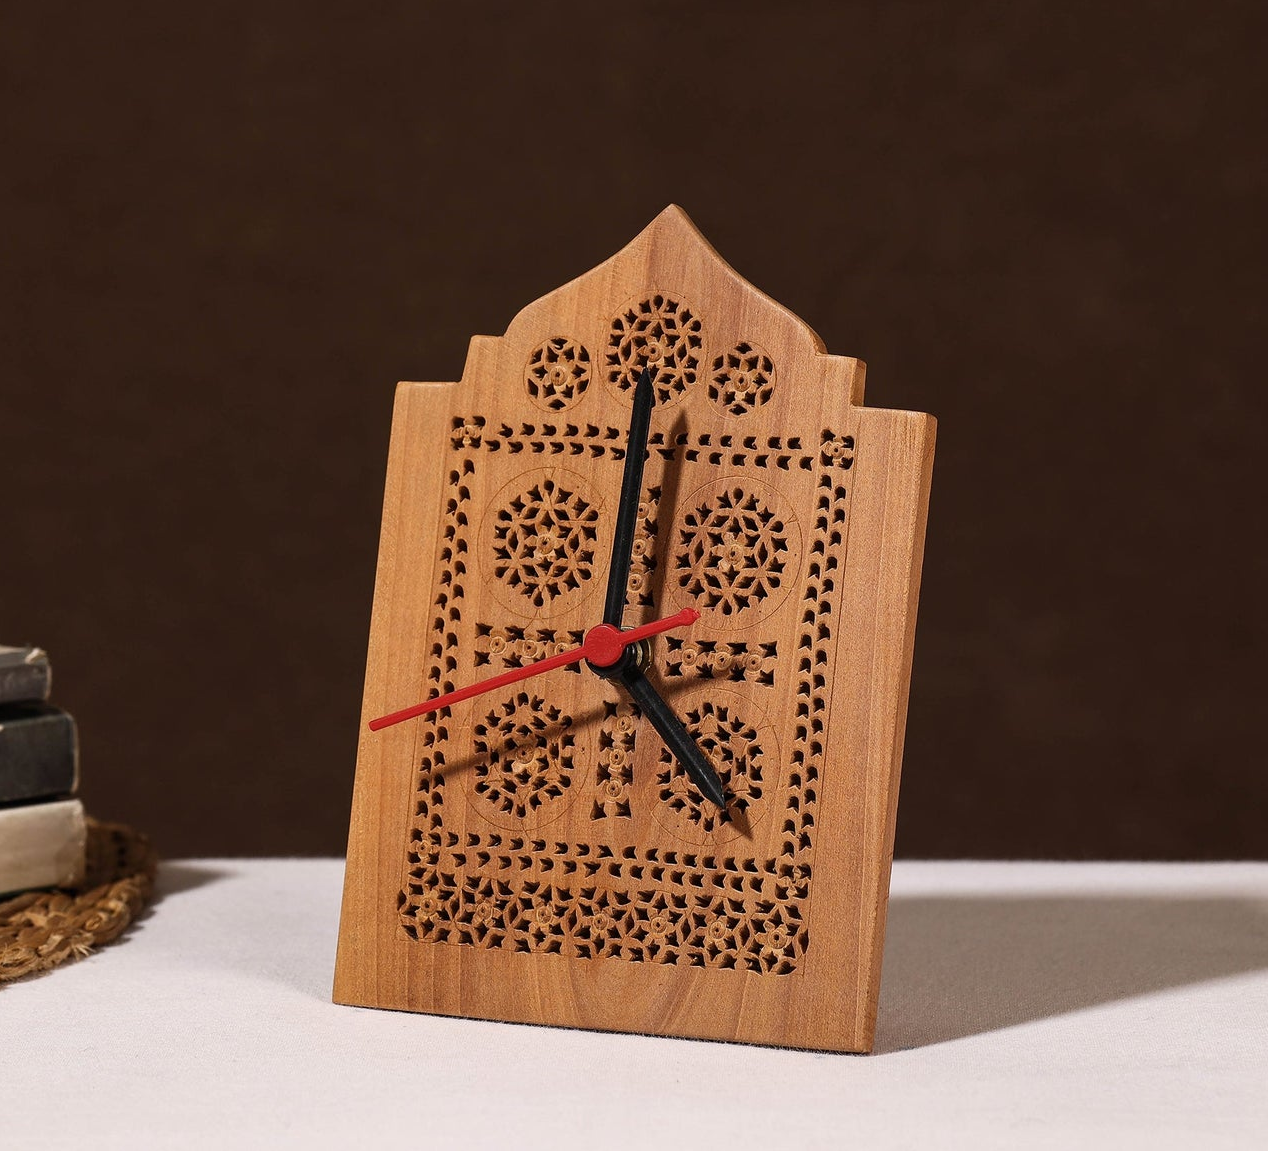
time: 4:00
